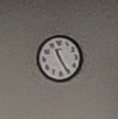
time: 11:25
